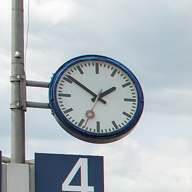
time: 1:51
